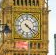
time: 4:22
